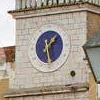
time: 1:28
